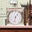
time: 1:32
